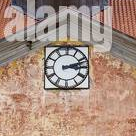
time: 3:12
